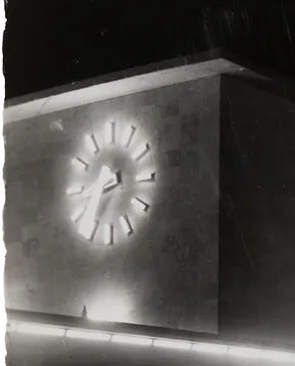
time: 8:35
